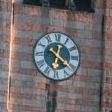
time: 6:21
